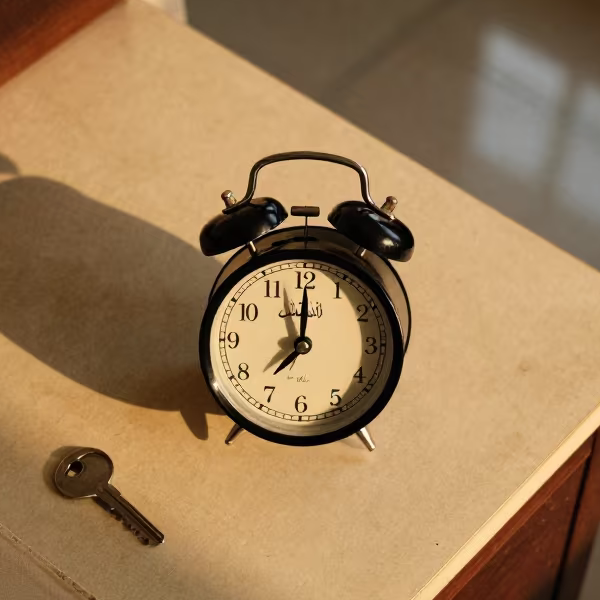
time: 7:00
